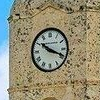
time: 10:18
